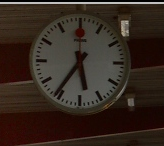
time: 5:36
